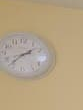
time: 1:36
